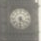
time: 4:31
